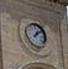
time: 1:08
